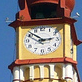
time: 2:52
